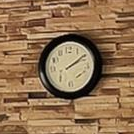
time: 2:09
